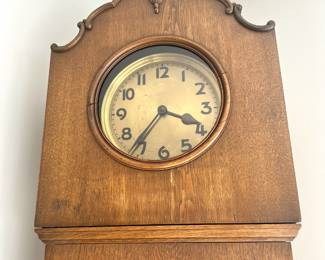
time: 3:36
